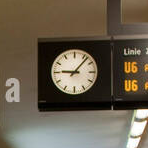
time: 9:06
